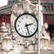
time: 2:27
